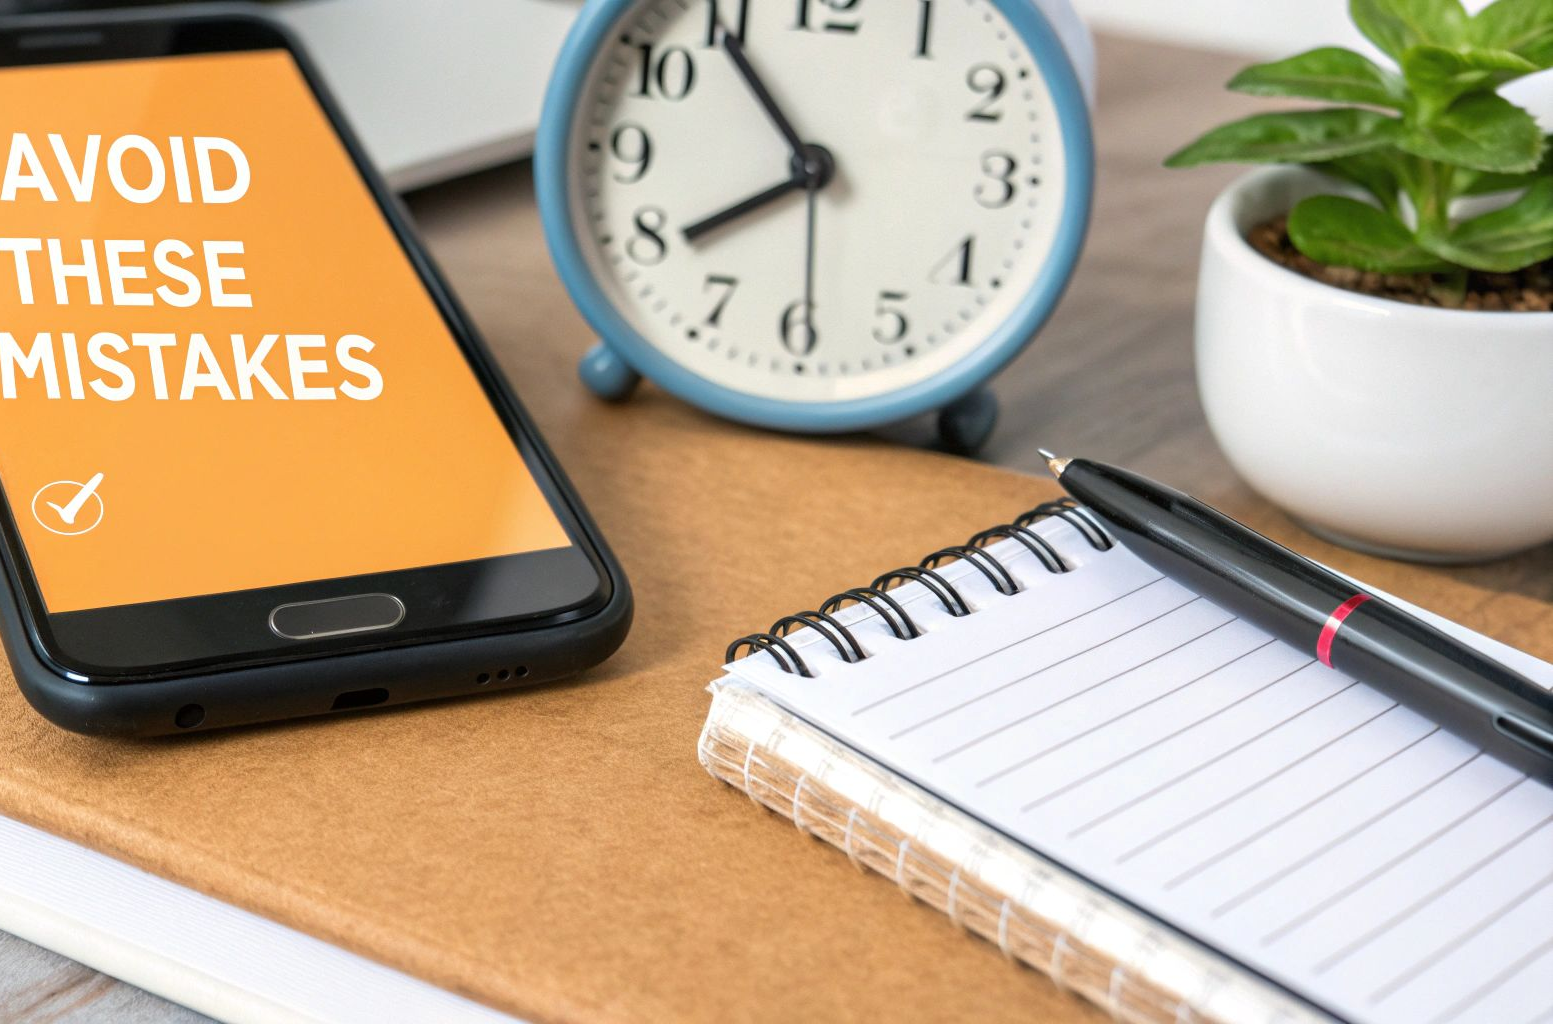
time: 7:53
